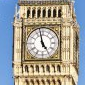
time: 4:57
